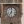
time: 7:01
